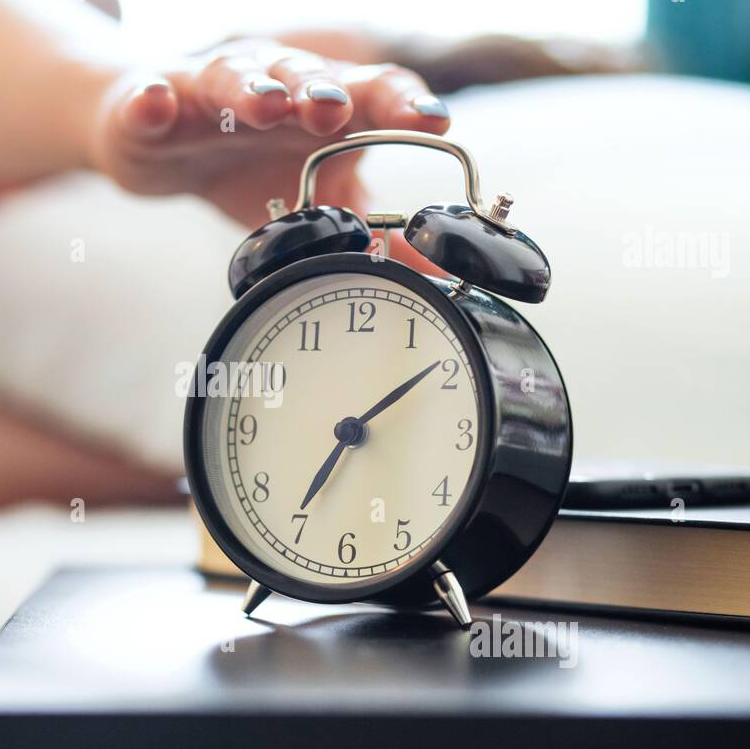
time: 7:09
